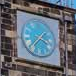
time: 3:36
